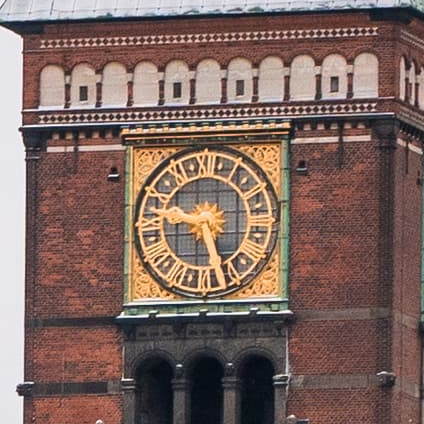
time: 5:26
